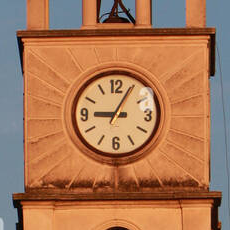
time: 9:04
